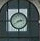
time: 2:40
